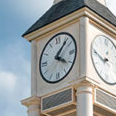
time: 4:07
